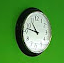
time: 10:47
